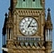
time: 3:04
